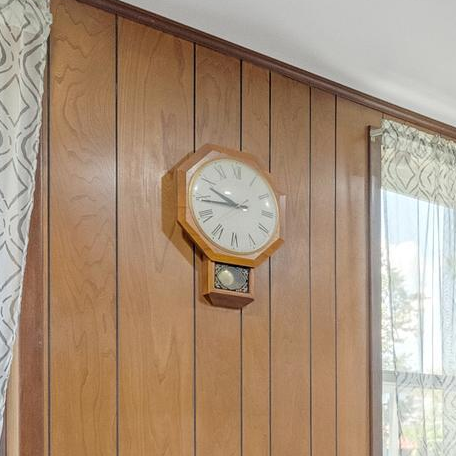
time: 9:43
